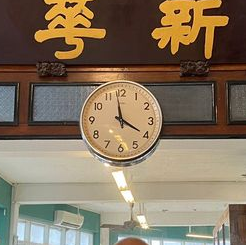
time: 3:58
